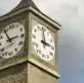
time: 2:58
